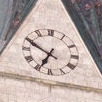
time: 6:49
